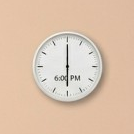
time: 6:00
